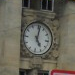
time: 5:01
